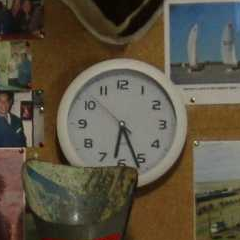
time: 6:26
